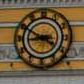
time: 8:49
